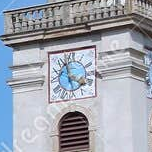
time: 3:58
